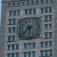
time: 5:37
